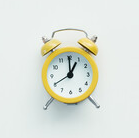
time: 12:59
